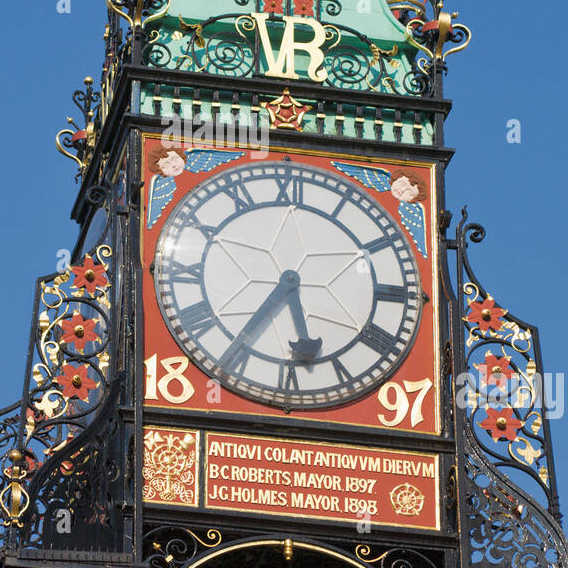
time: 5:35
